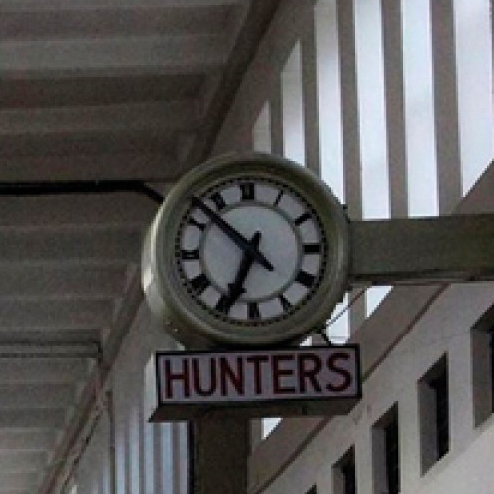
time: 6:52
